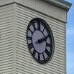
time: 2:10
